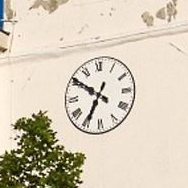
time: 6:50
